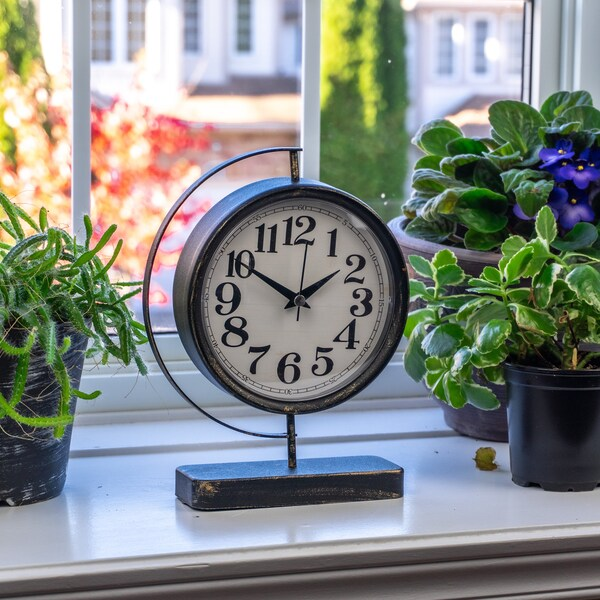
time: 1:50
